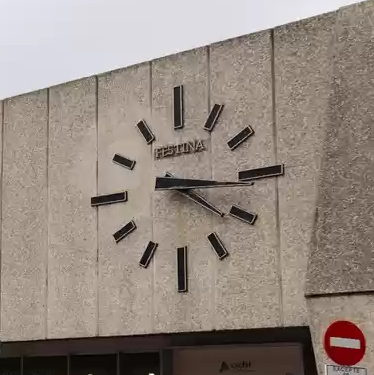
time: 4:16
